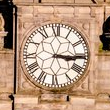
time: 3:15
